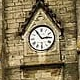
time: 2:54
